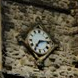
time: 7:13
